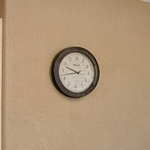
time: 9:42
